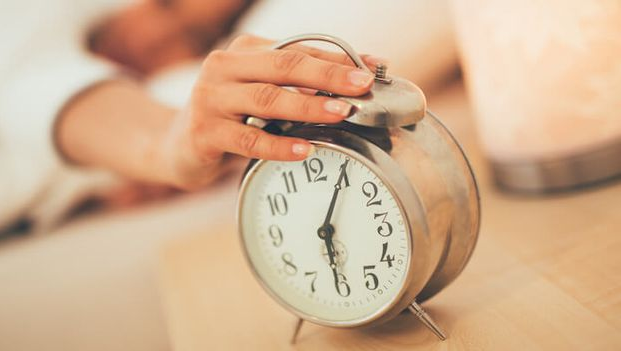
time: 6:05
